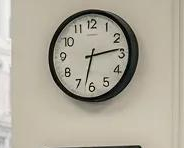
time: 2:32
